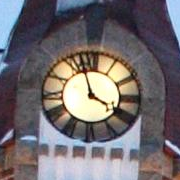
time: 3:57
